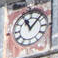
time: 11:07
